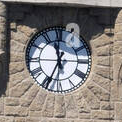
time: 11:34
